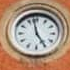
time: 4:58
